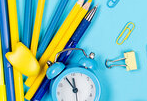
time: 11:55
